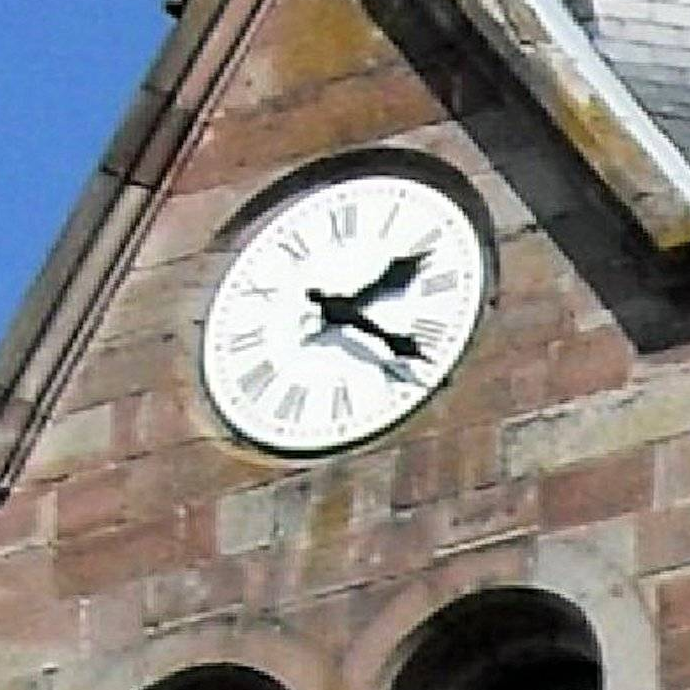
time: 2:21
